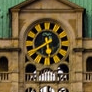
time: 5:40
